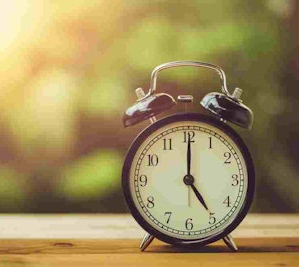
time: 5:00
